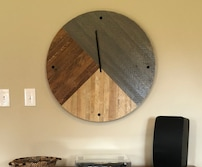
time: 11:37
